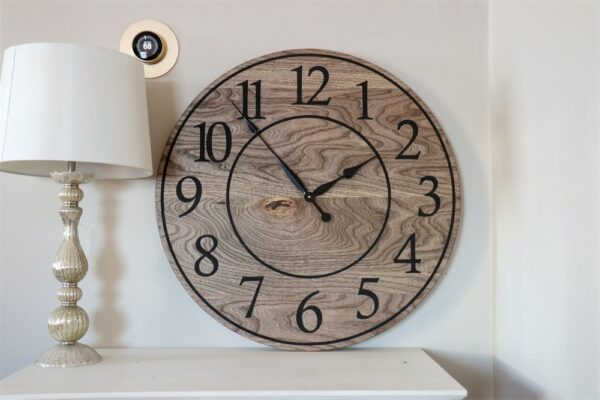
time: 1:53
